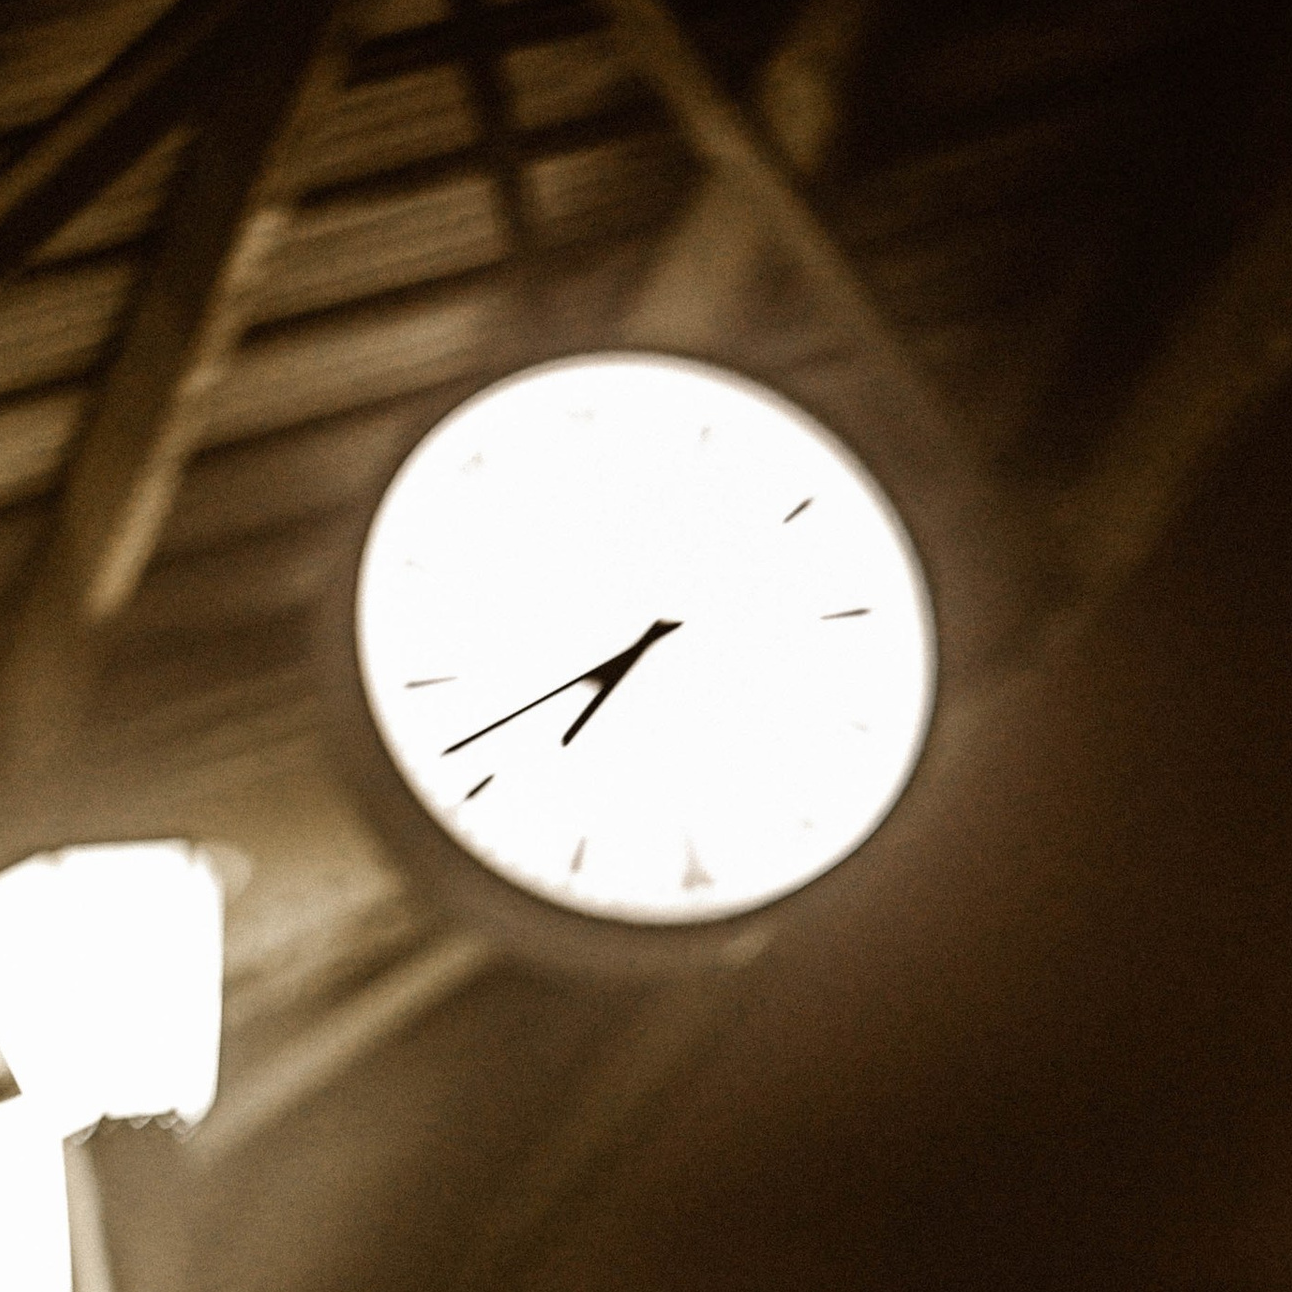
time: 7:42
